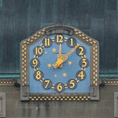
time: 12:07
